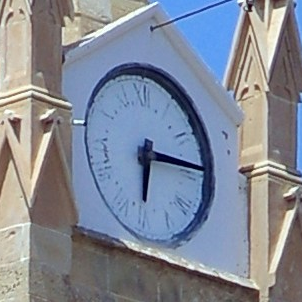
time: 6:14
